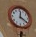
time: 12:20
